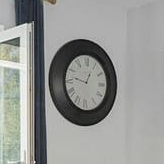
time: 12:47
